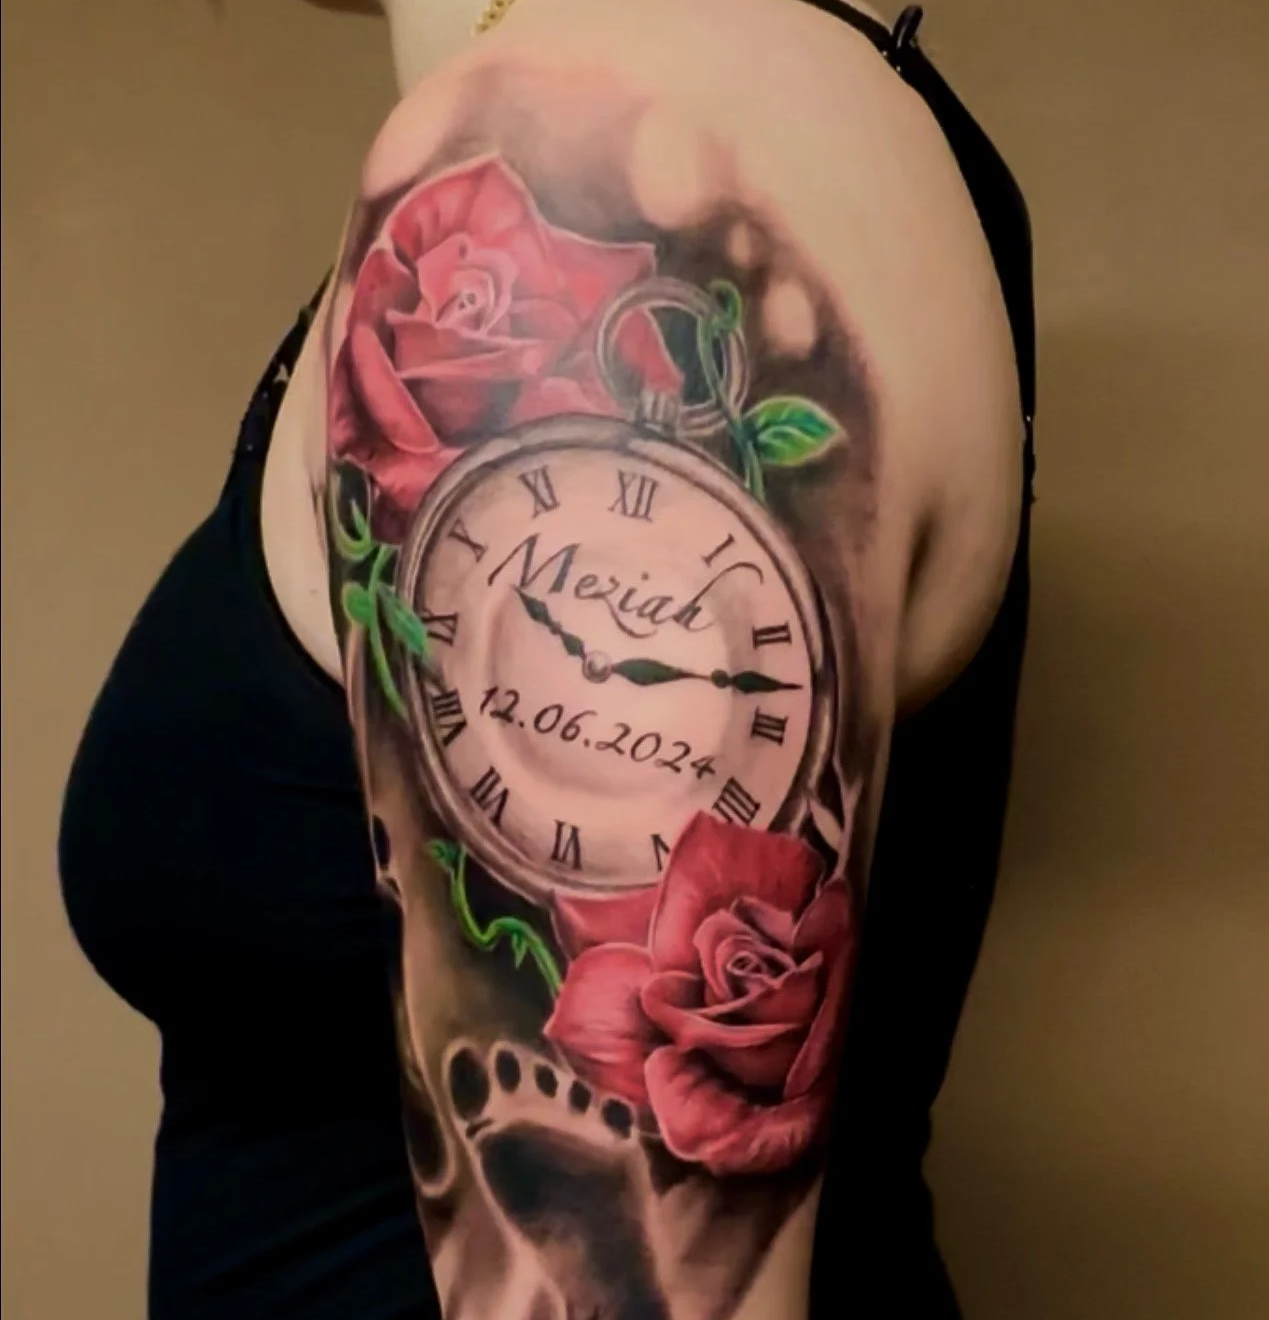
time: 10:13
